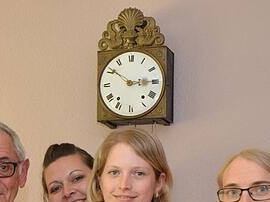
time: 2:50
